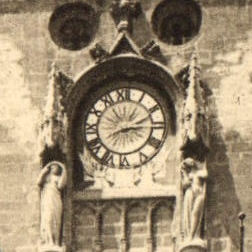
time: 3:11
